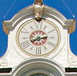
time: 2:40
